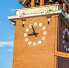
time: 8:56
